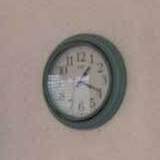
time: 1:19
